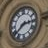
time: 2:38
